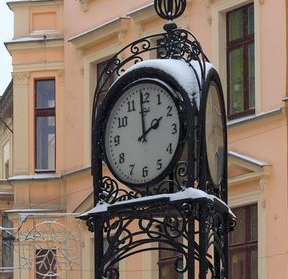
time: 1:59
